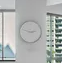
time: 2:48
